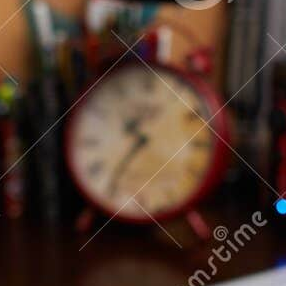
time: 10:36
